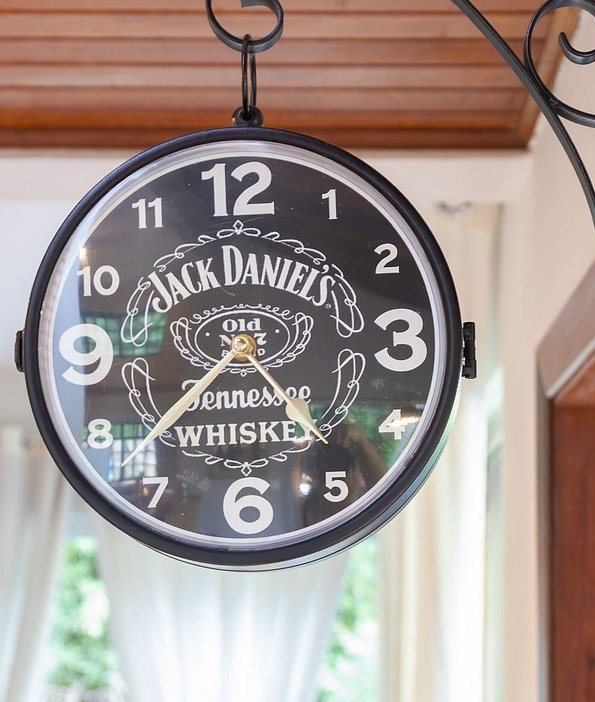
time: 4:37
